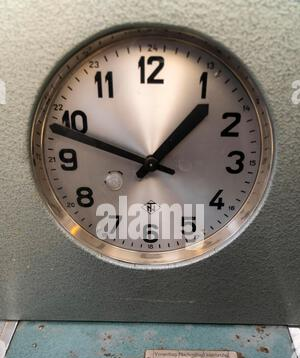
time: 12:48
